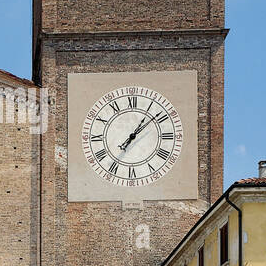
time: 1:08
